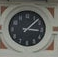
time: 3:07
